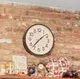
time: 1:36
